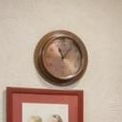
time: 11:06
